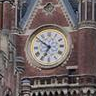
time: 6:51
